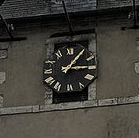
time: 3:05
